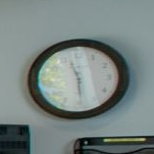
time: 11:29
